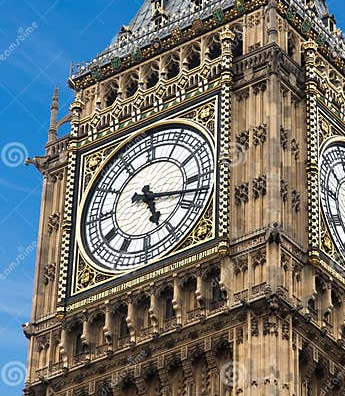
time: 5:17
